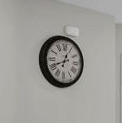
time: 12:41
